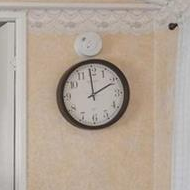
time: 1:59
